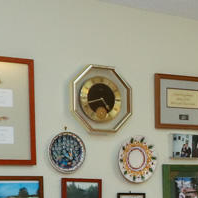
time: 4:42
